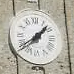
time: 1:39
